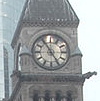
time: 4:54
